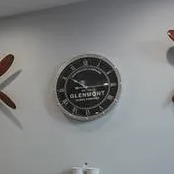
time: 10:14
